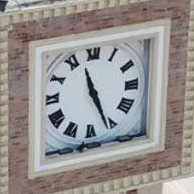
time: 11:26
